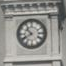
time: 10:40
